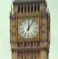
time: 12:06
